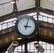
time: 3:02
